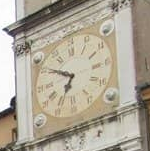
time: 6:50
